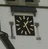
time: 1:26
